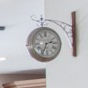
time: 2:33
